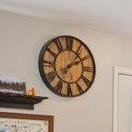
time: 2:06
